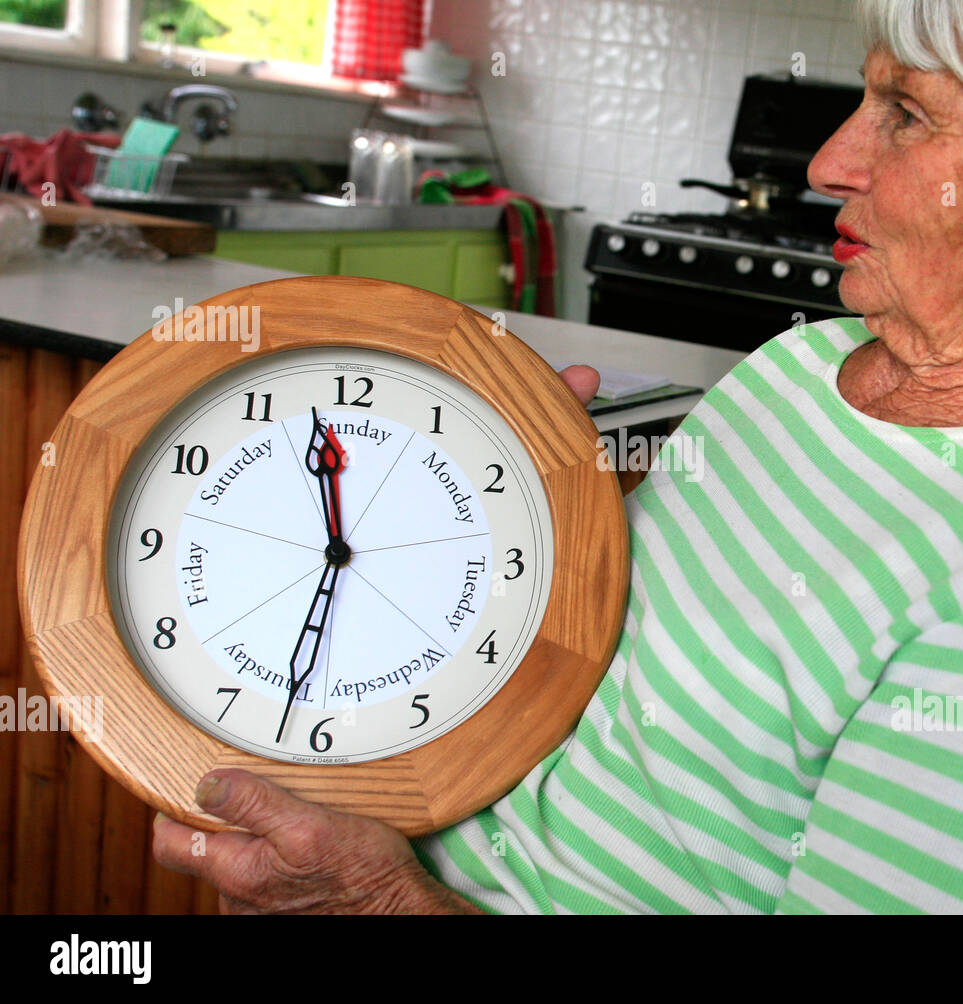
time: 11:32
